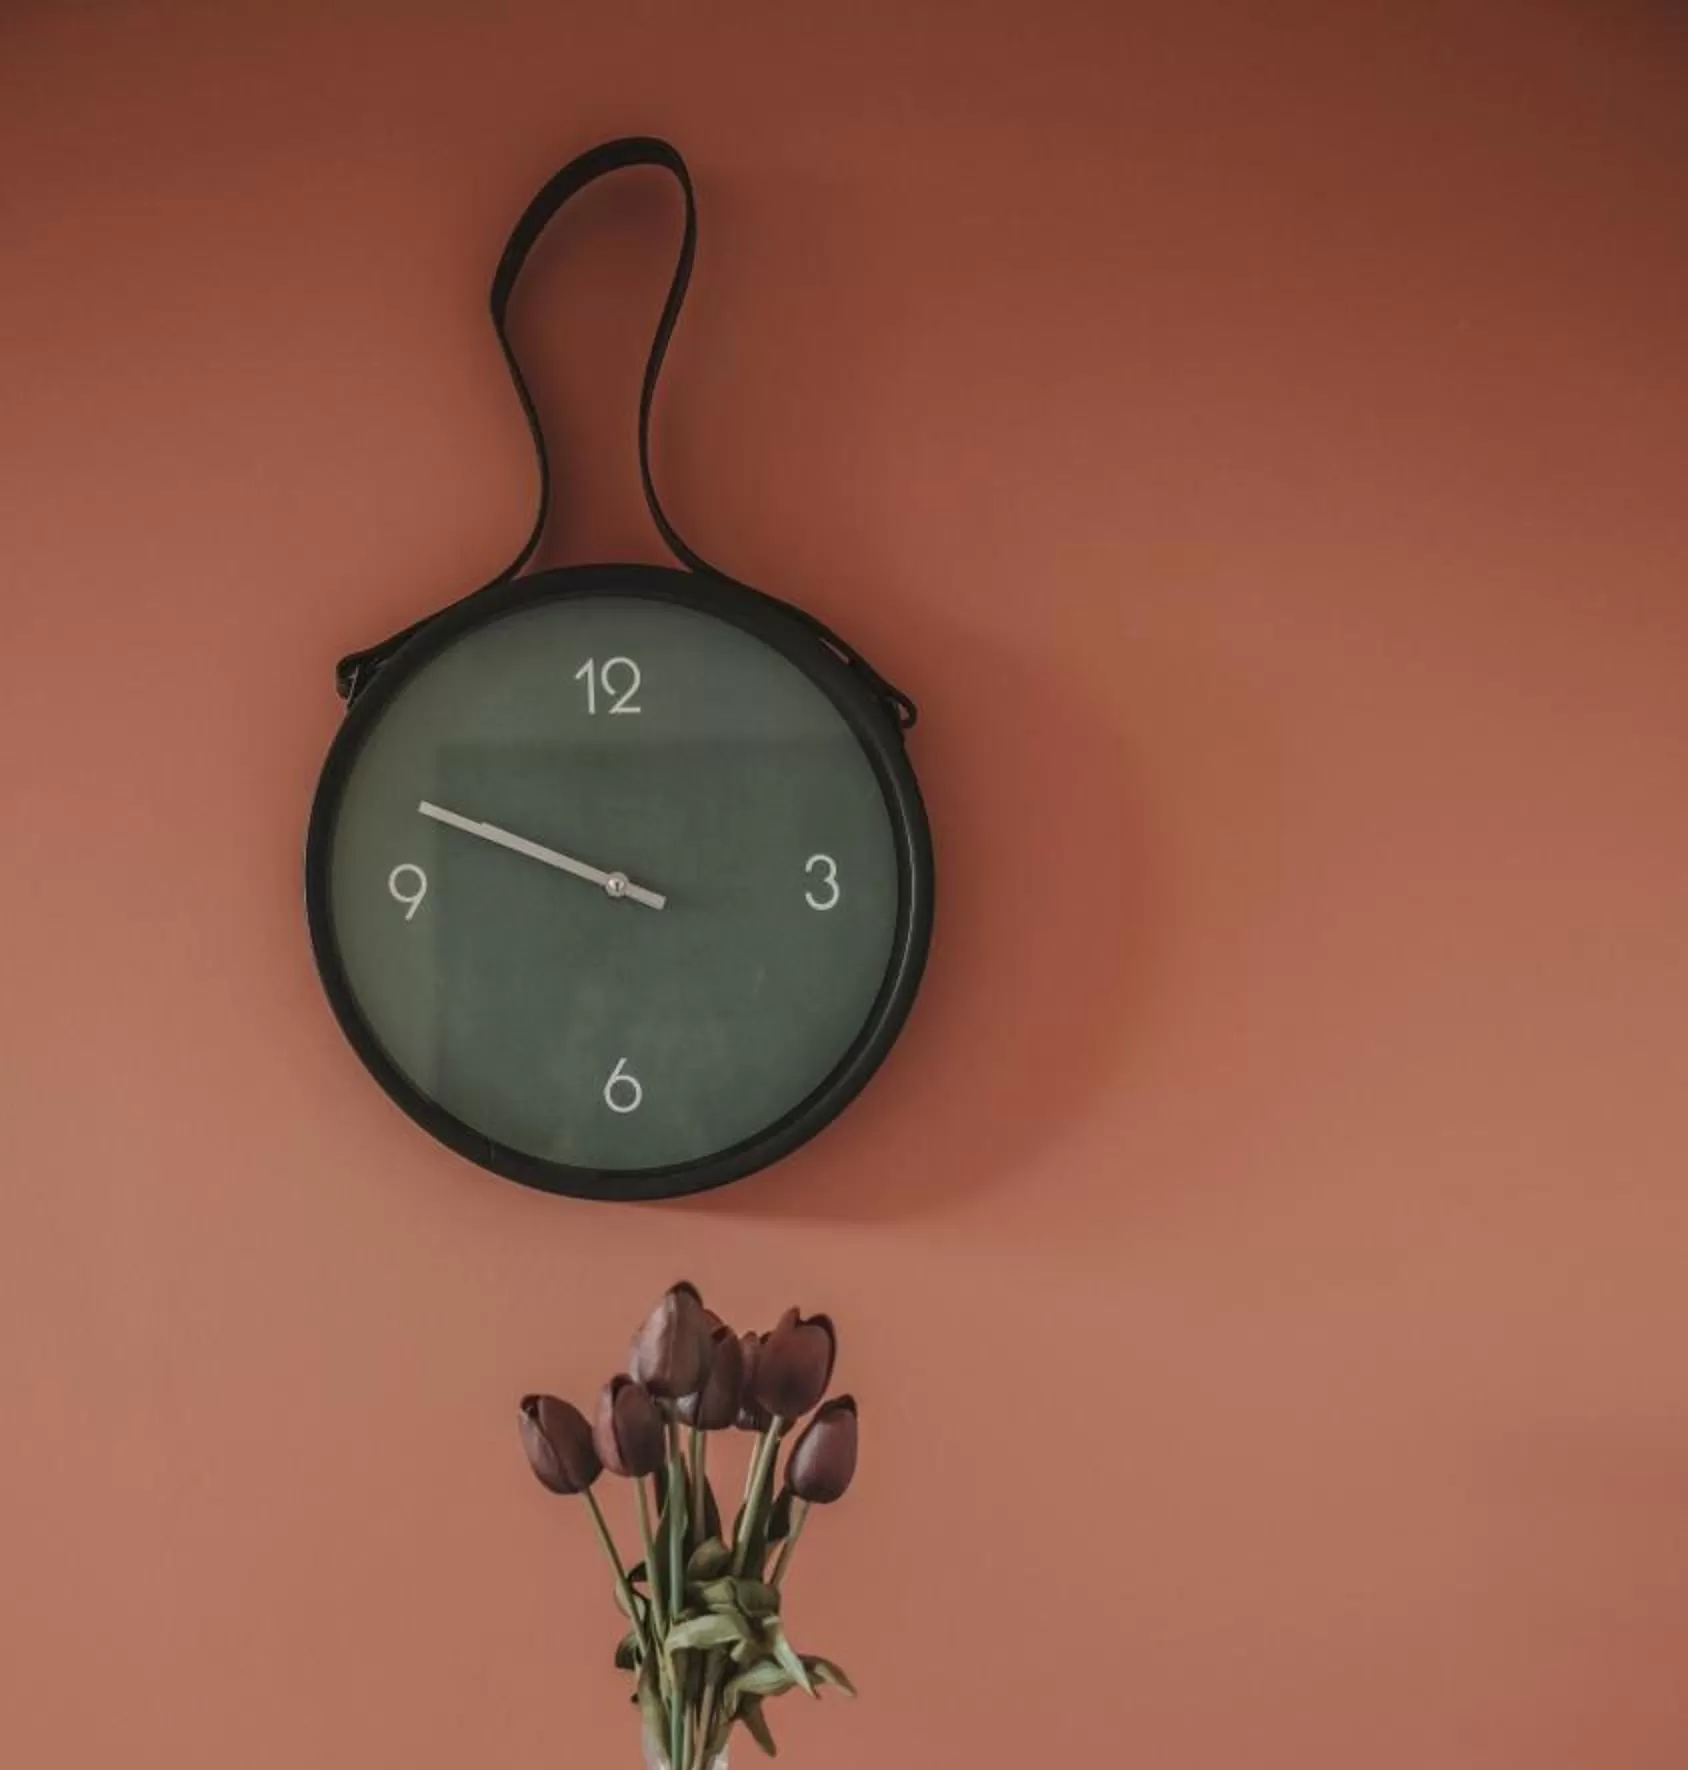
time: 9:48
